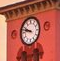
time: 9:47
